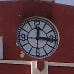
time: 12:14
